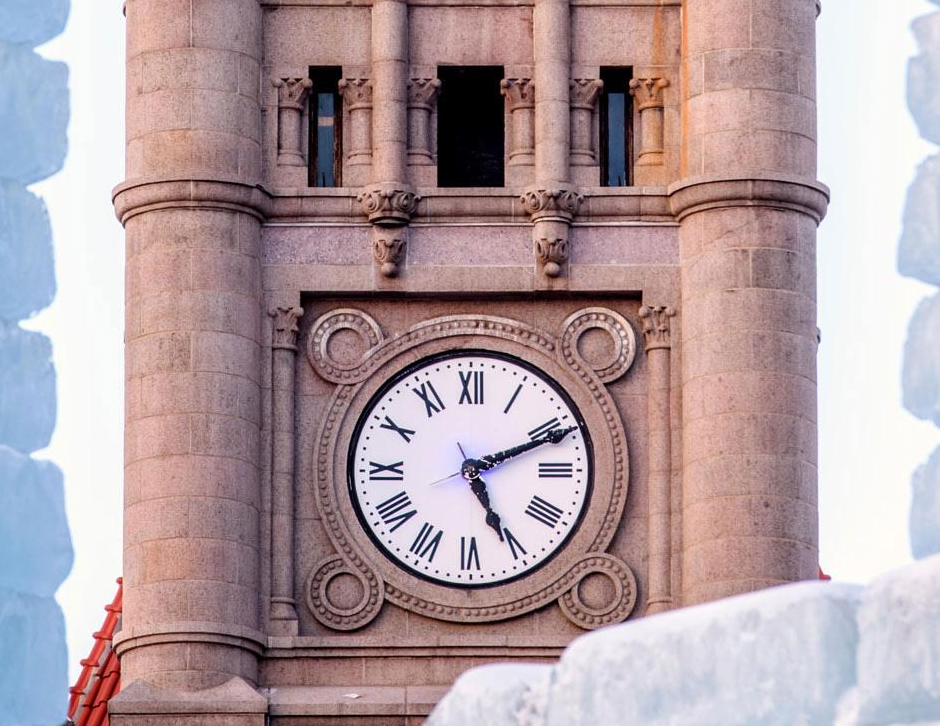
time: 5:11
